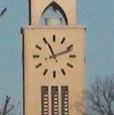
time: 11:11
